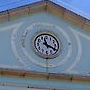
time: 11:19
